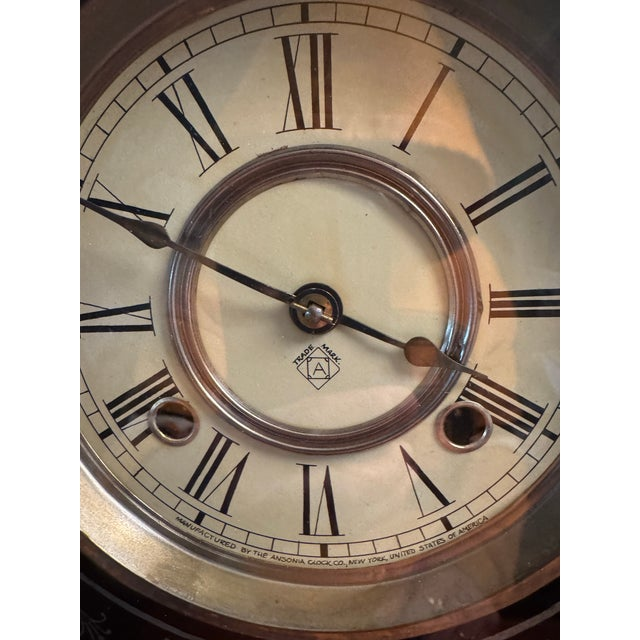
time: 3:49
